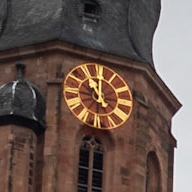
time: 11:00
